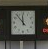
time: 11:53
